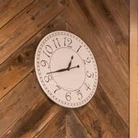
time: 12:41
